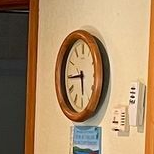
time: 5:44
